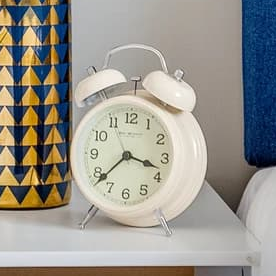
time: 3:38
